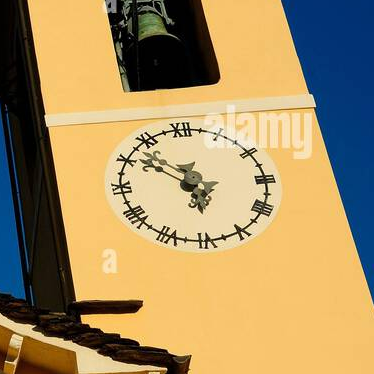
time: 5:51
